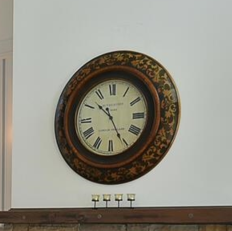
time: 10:25
